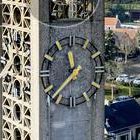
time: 11:37
